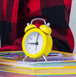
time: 9:01
